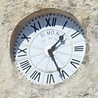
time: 1:25
